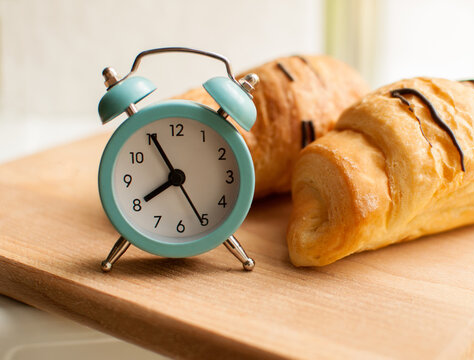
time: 7:55
